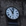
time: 11:02
